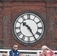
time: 10:24
